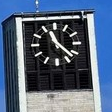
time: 11:22
